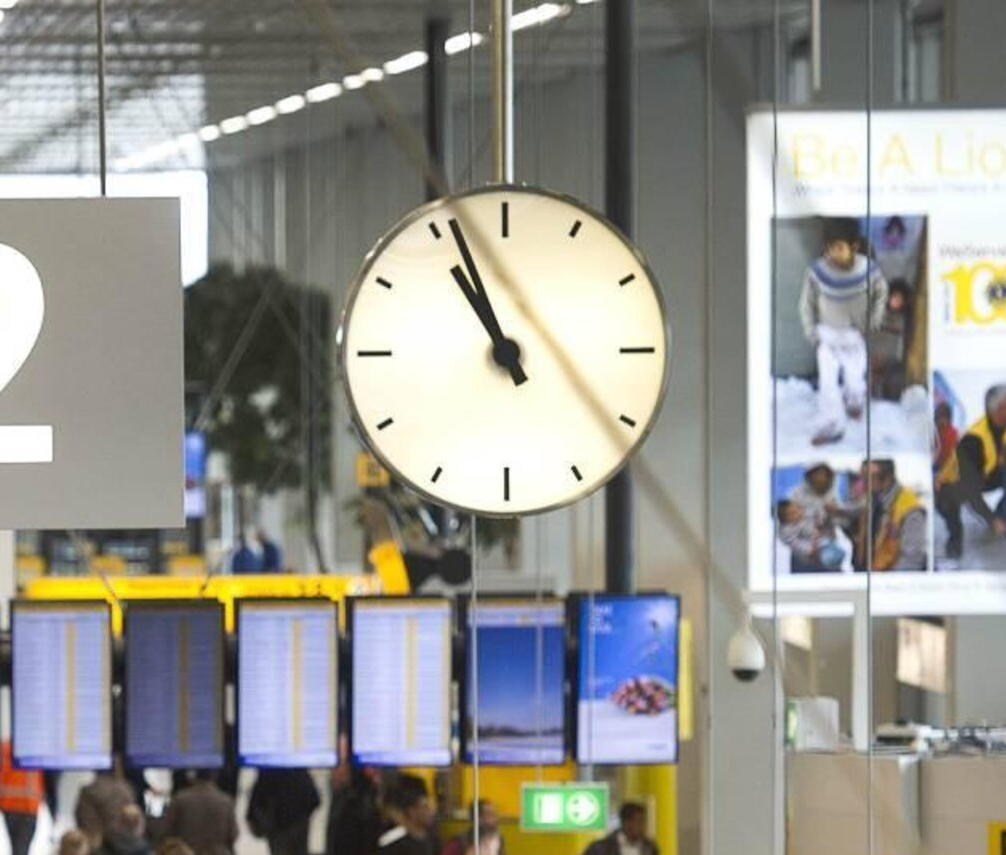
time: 10:56
